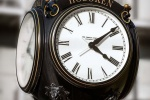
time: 4:08
